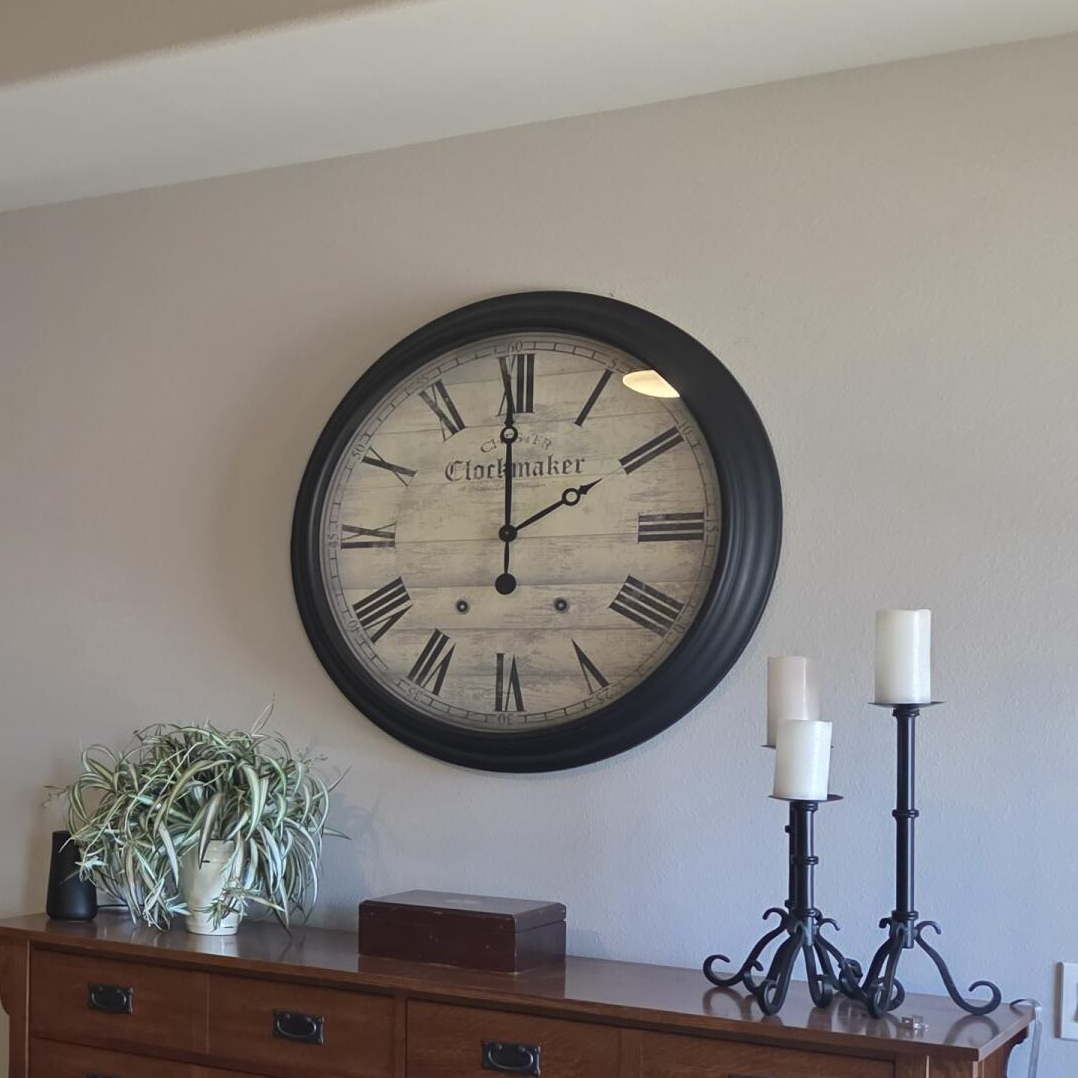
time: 1:59
